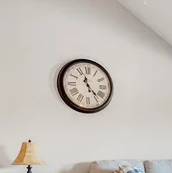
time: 11:22
